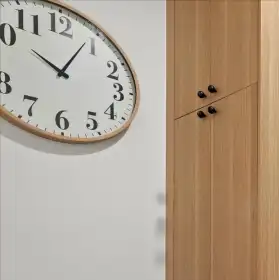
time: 10:04
